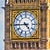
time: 4:44
